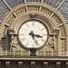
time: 3:26
